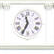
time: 11:34
